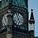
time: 6:56
